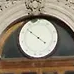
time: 3:50
